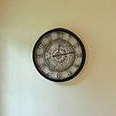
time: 12:13
